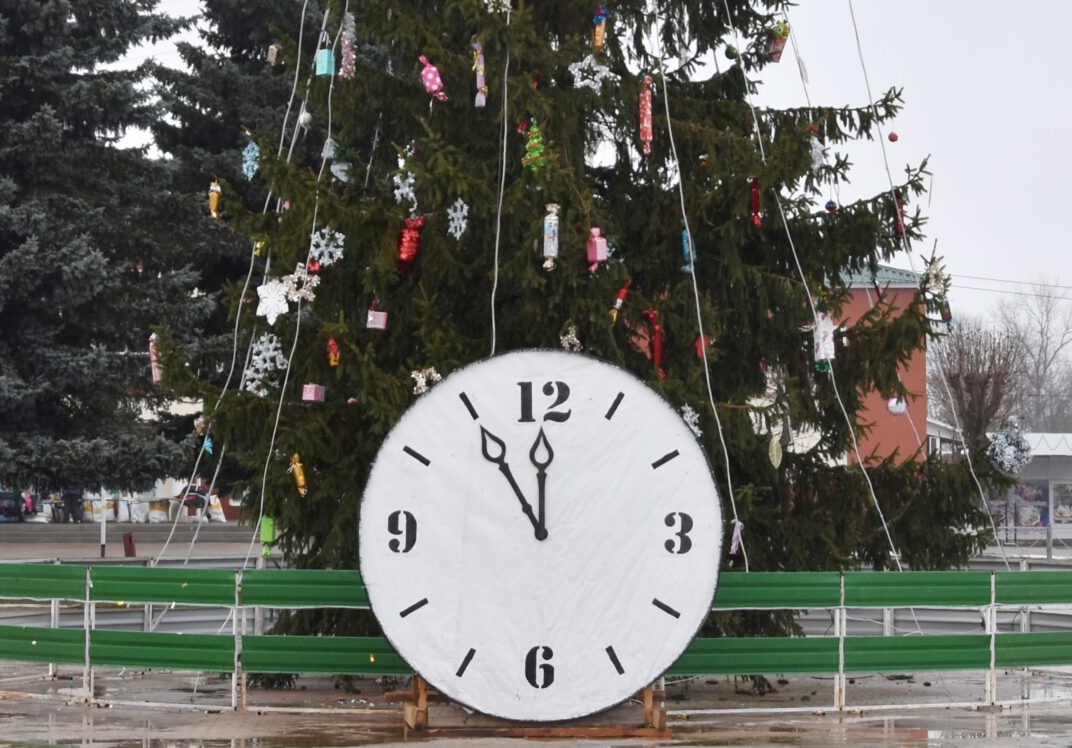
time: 11:54
